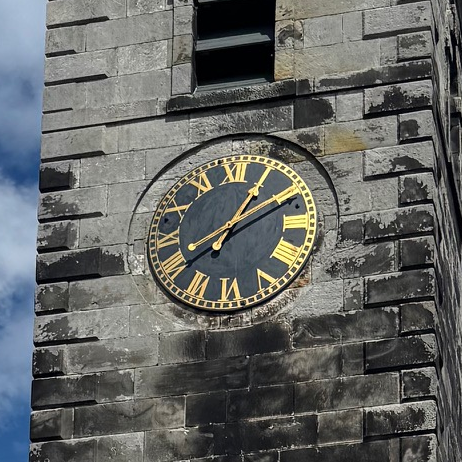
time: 1:10
